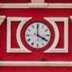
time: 3:59
